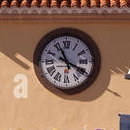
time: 11:19
